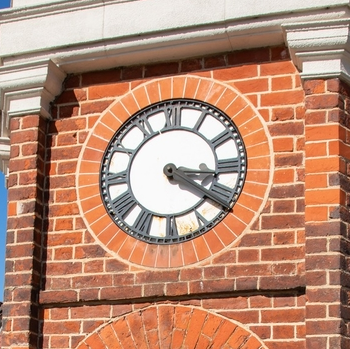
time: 3:21
